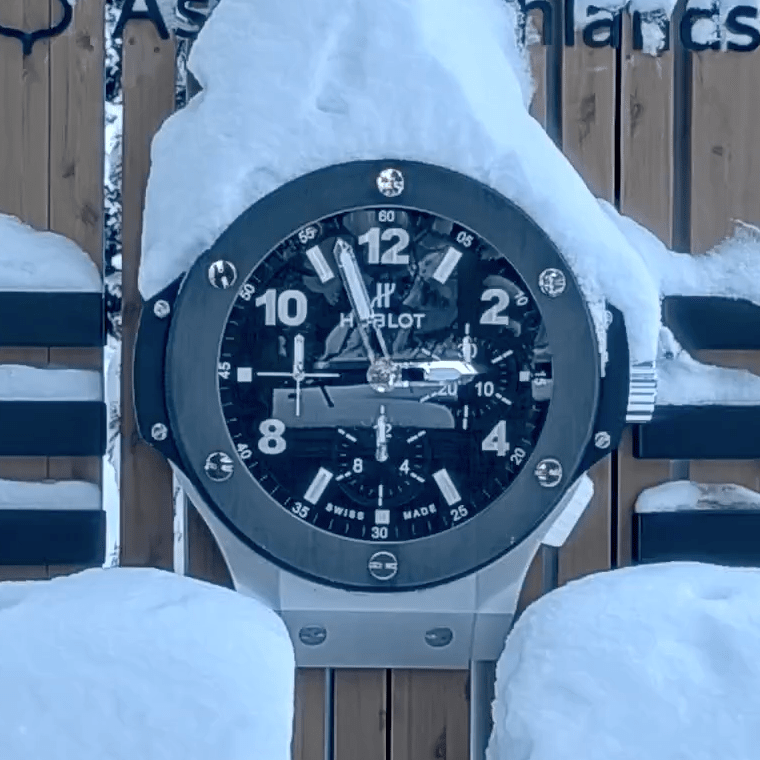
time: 2:56
